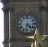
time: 4:32
